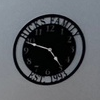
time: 4:48
